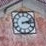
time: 3:12
